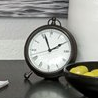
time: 1:56
